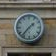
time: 1:36
